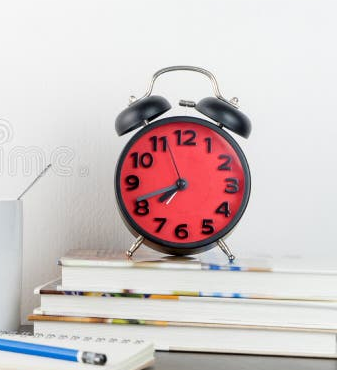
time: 7:41
